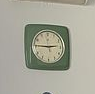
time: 2:45
